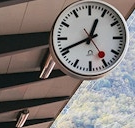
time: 12:41
